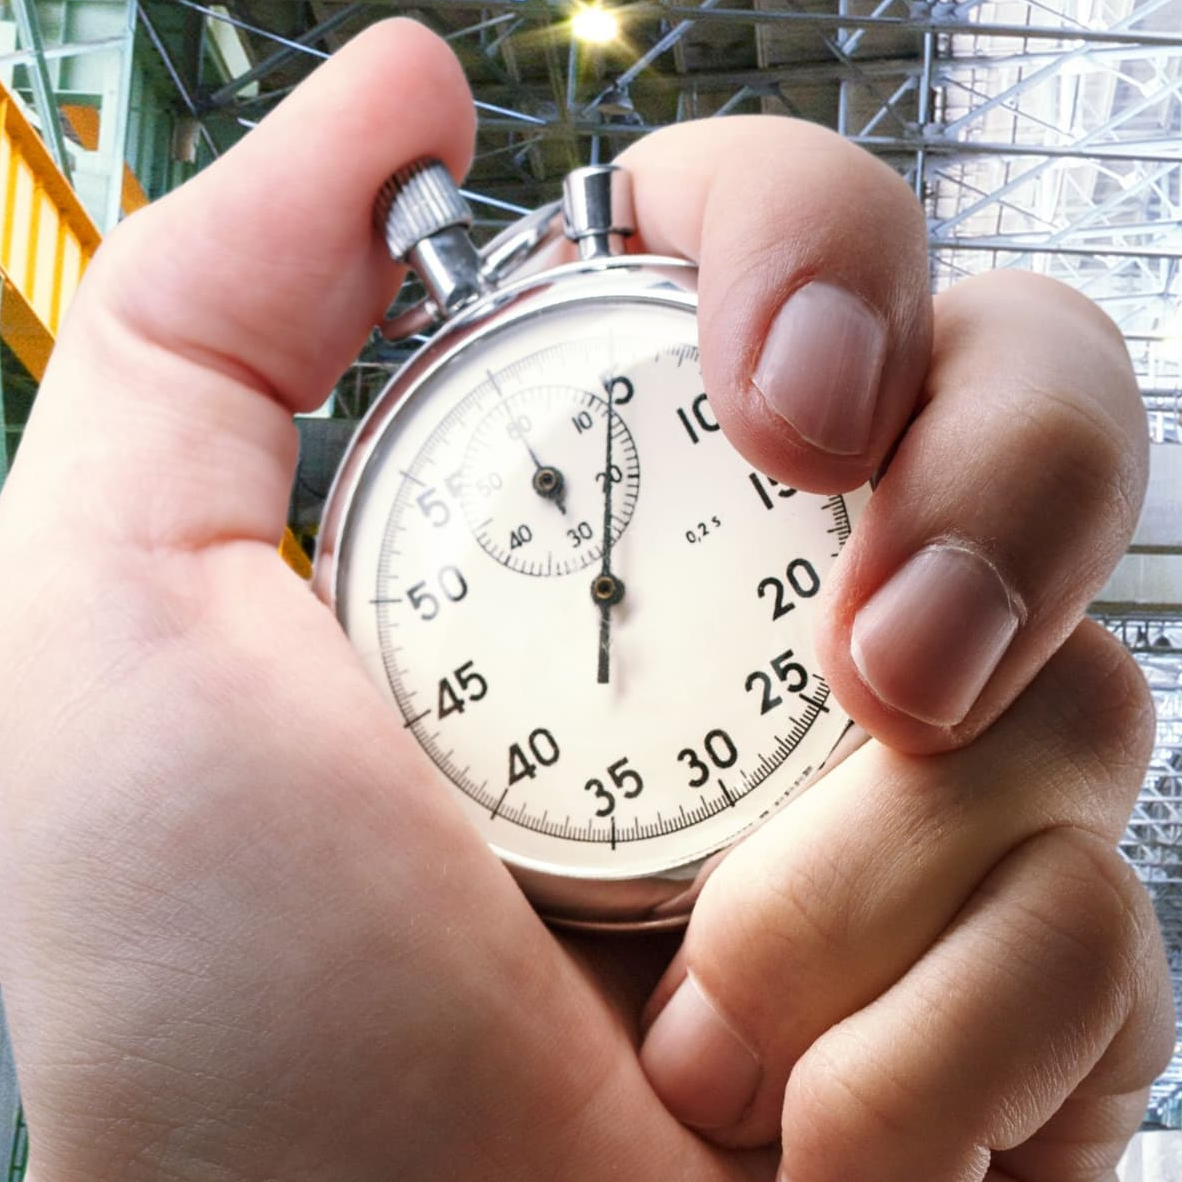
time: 11:00
